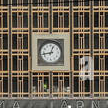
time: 12:43
